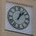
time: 1:07
